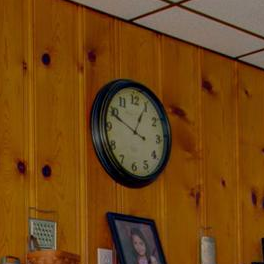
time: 12:48
